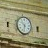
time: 10:32
